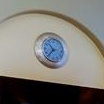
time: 10:36
